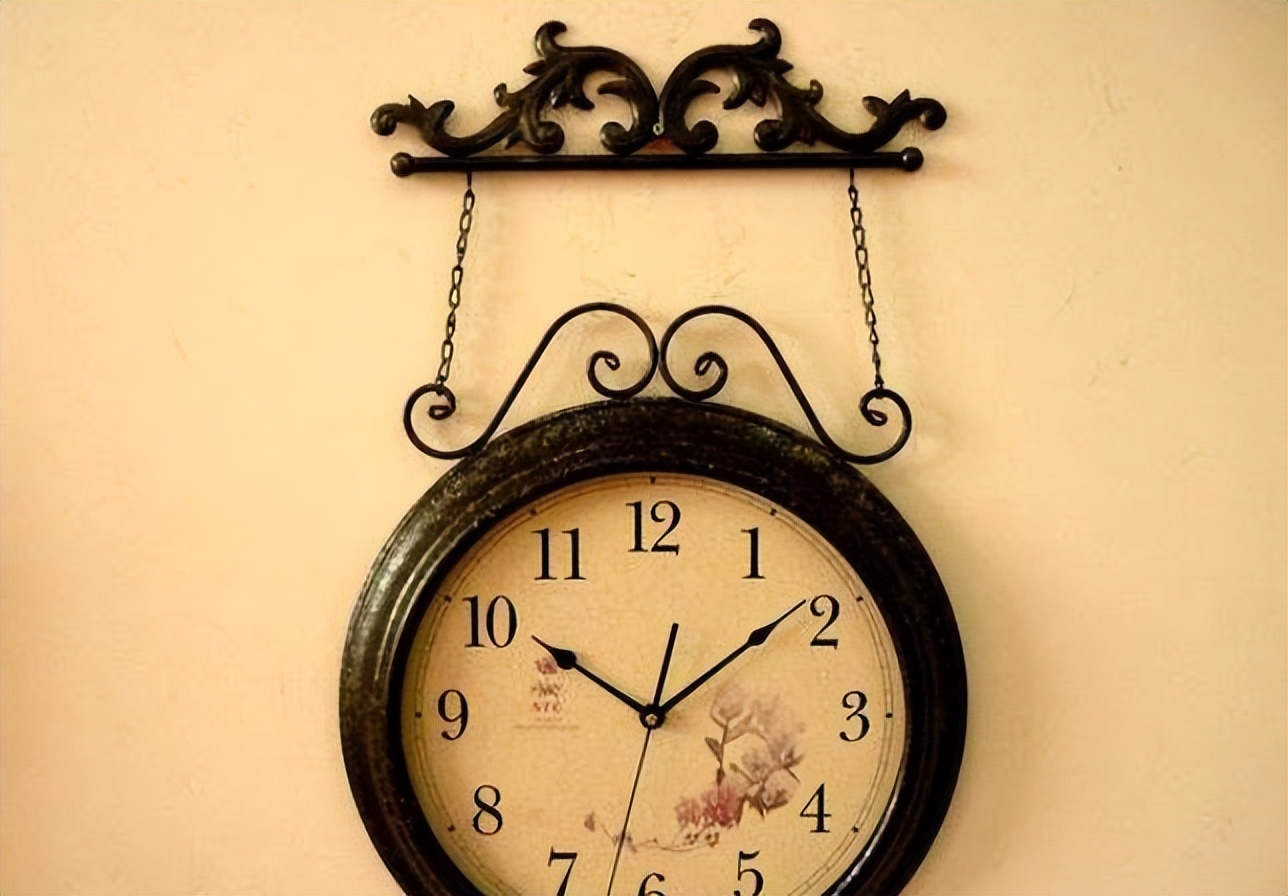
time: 10:08
